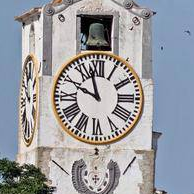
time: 9:57
